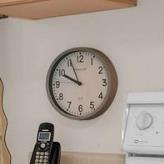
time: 9:56
